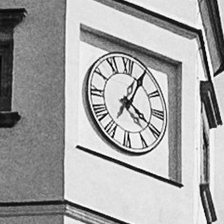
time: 4:04
